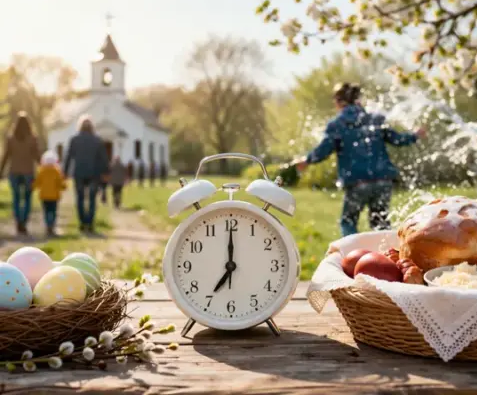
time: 7:00
